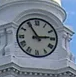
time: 2:54
